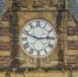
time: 2:48
